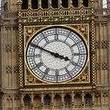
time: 3:48
